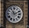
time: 11:11
